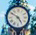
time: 4:50
